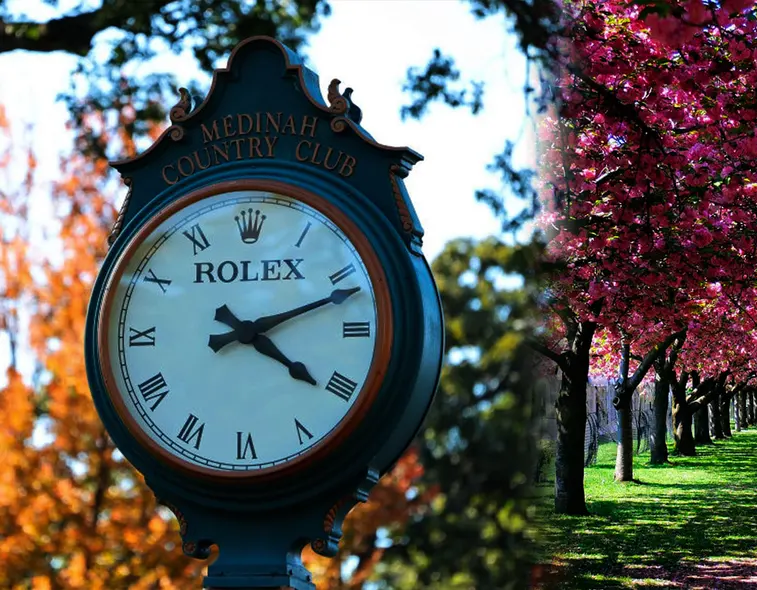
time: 4:11
